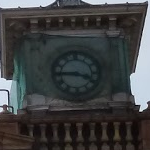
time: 3:44
